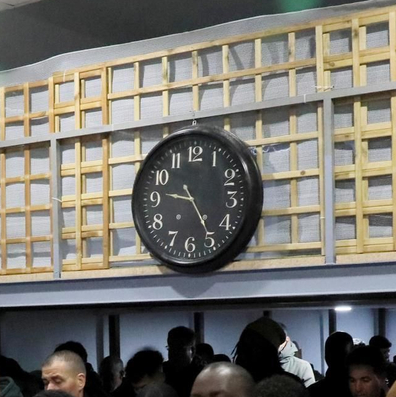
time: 9:24
